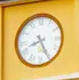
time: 8:25
